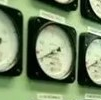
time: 1:41
